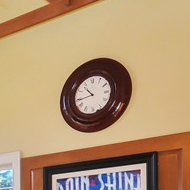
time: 10:43
